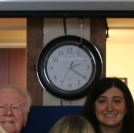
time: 2:20
